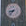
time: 8:37
